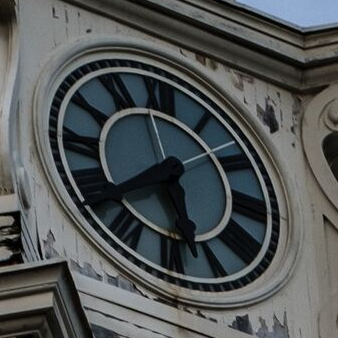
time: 5:38
